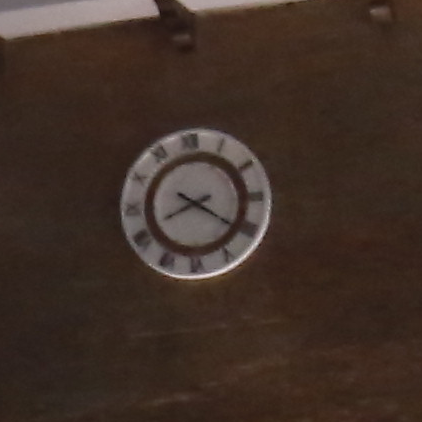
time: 8:20
